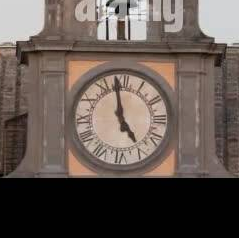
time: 4:58
